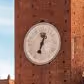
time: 12:32
